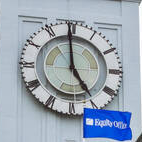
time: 4:59
